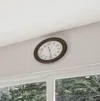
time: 11:28
